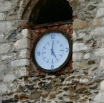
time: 5:00
